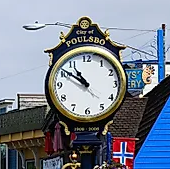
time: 10:50
